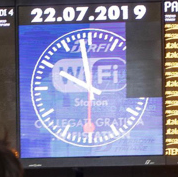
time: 5:58
